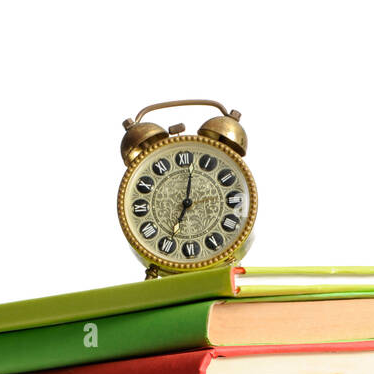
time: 7:02
